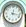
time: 12:17
